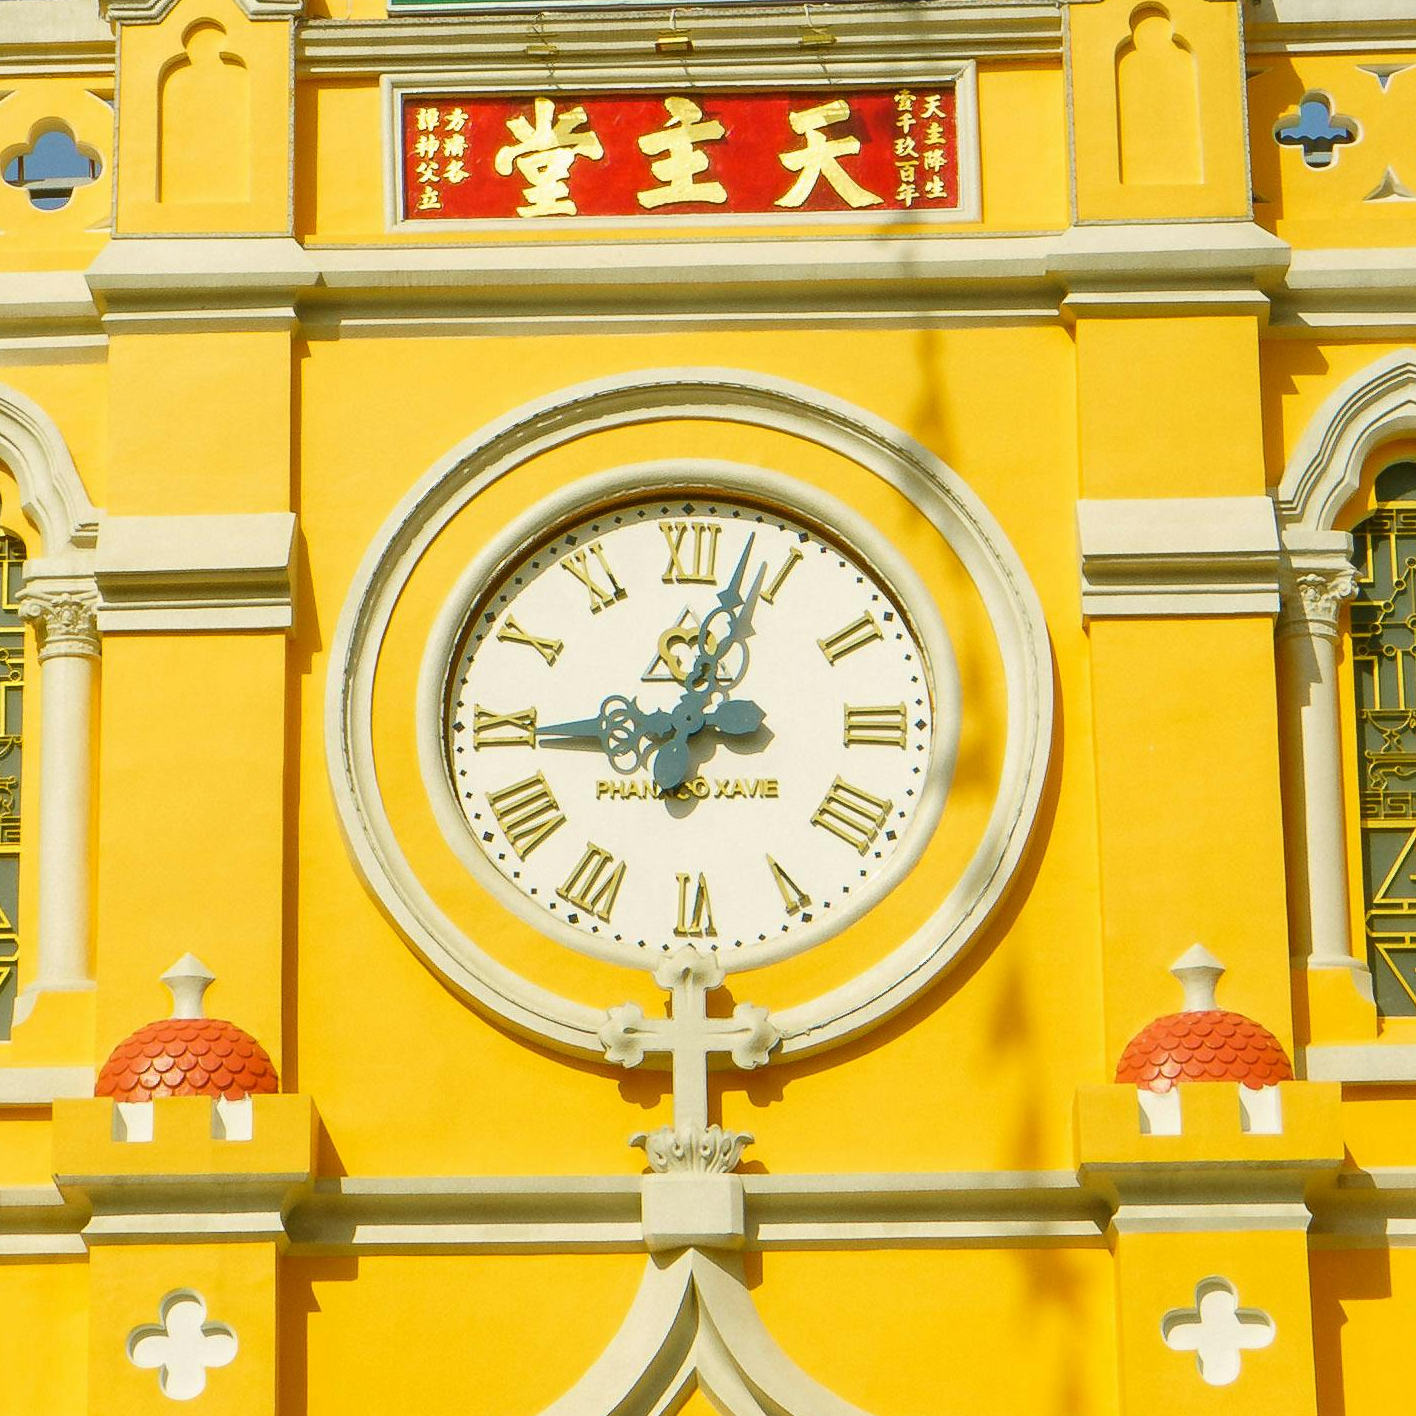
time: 9:02
